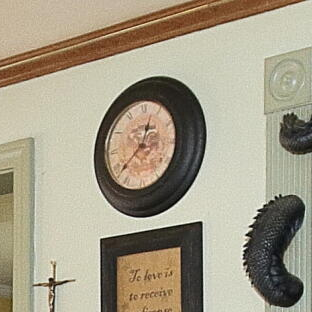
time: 12:37
